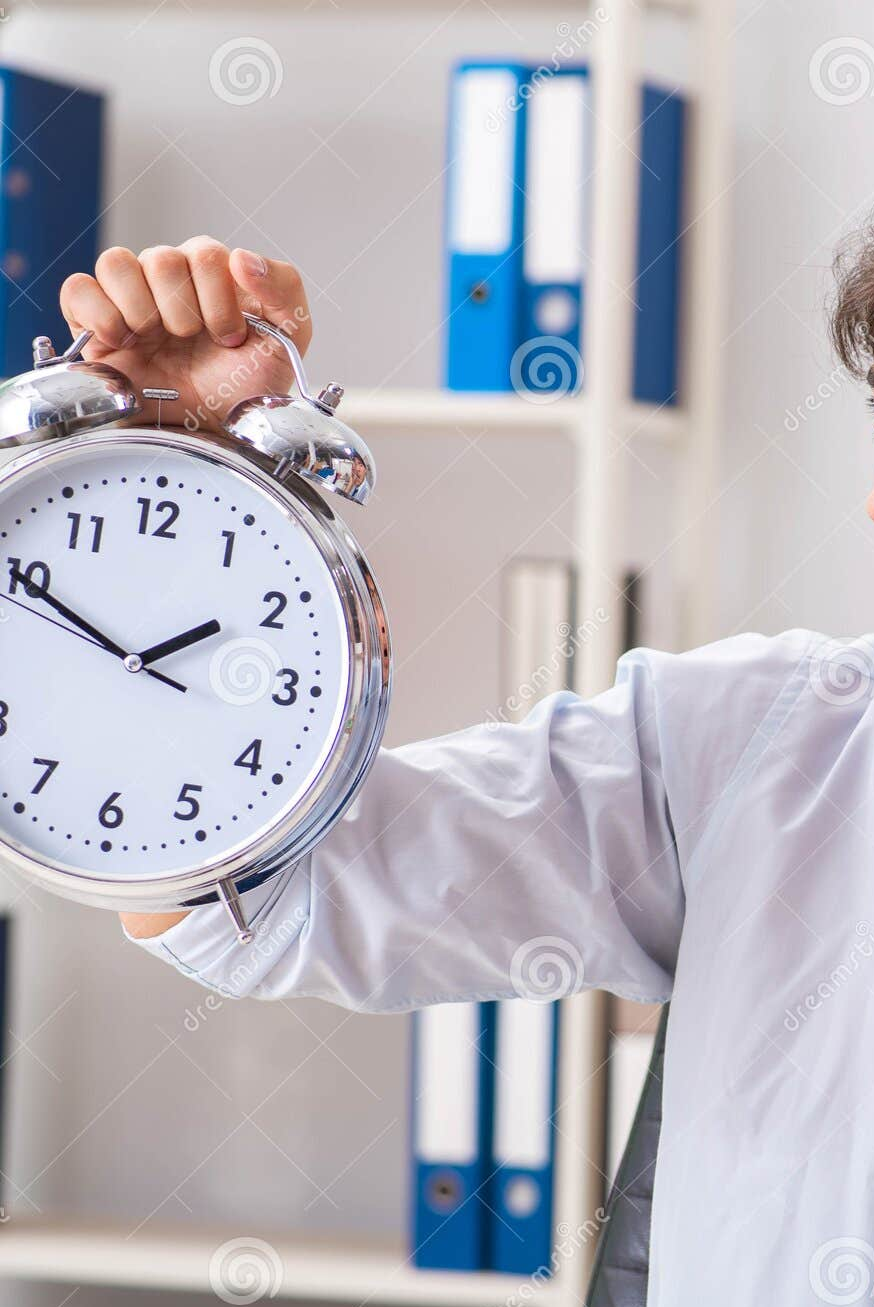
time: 1:49
